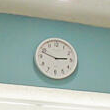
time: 2:48
